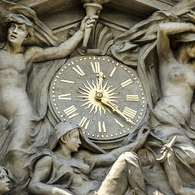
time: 12:21
